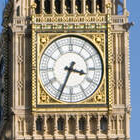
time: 3:34
